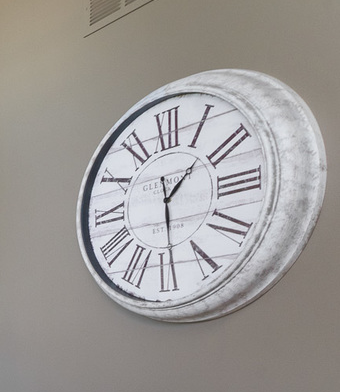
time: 1:29
